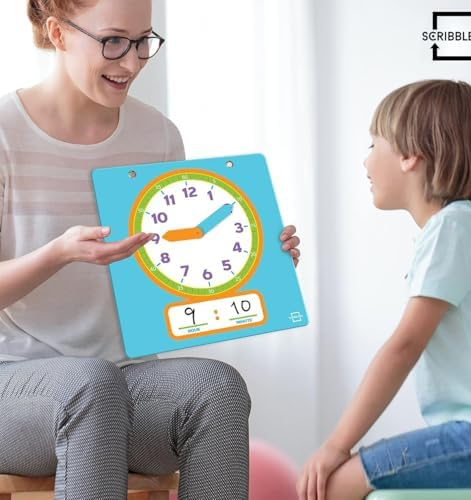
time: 9:10
